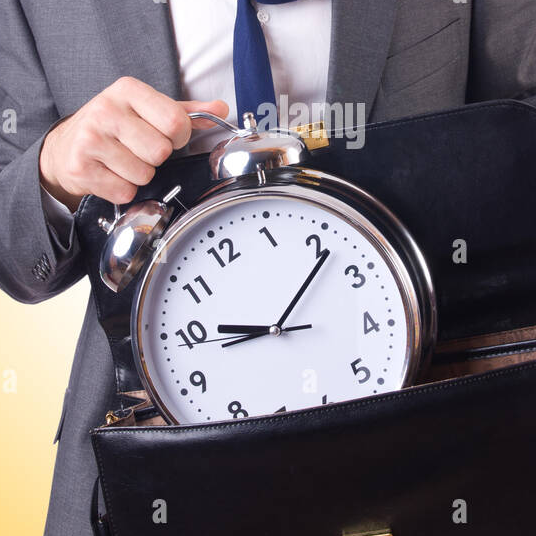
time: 9:06
